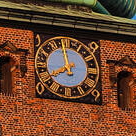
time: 7:58
